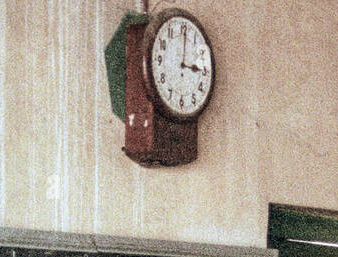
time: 3:00
